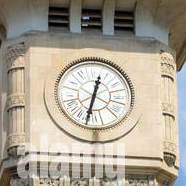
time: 12:32
